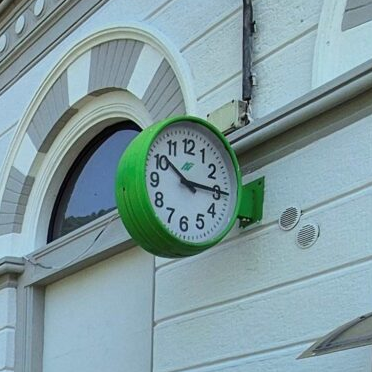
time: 10:14
